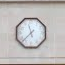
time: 11:37
